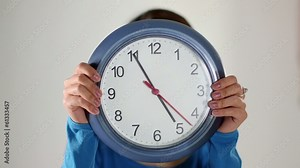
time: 4:55
